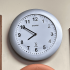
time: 7:50
